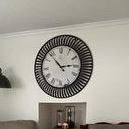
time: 2:53
